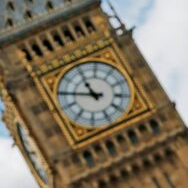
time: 10:45
